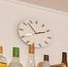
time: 2:57
